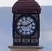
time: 9:10
